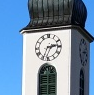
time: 2:34
